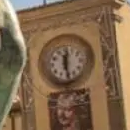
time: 12:28
